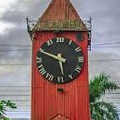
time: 5:48
